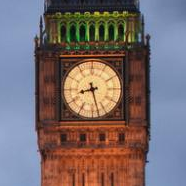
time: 8:27
